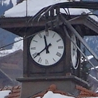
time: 11:38
